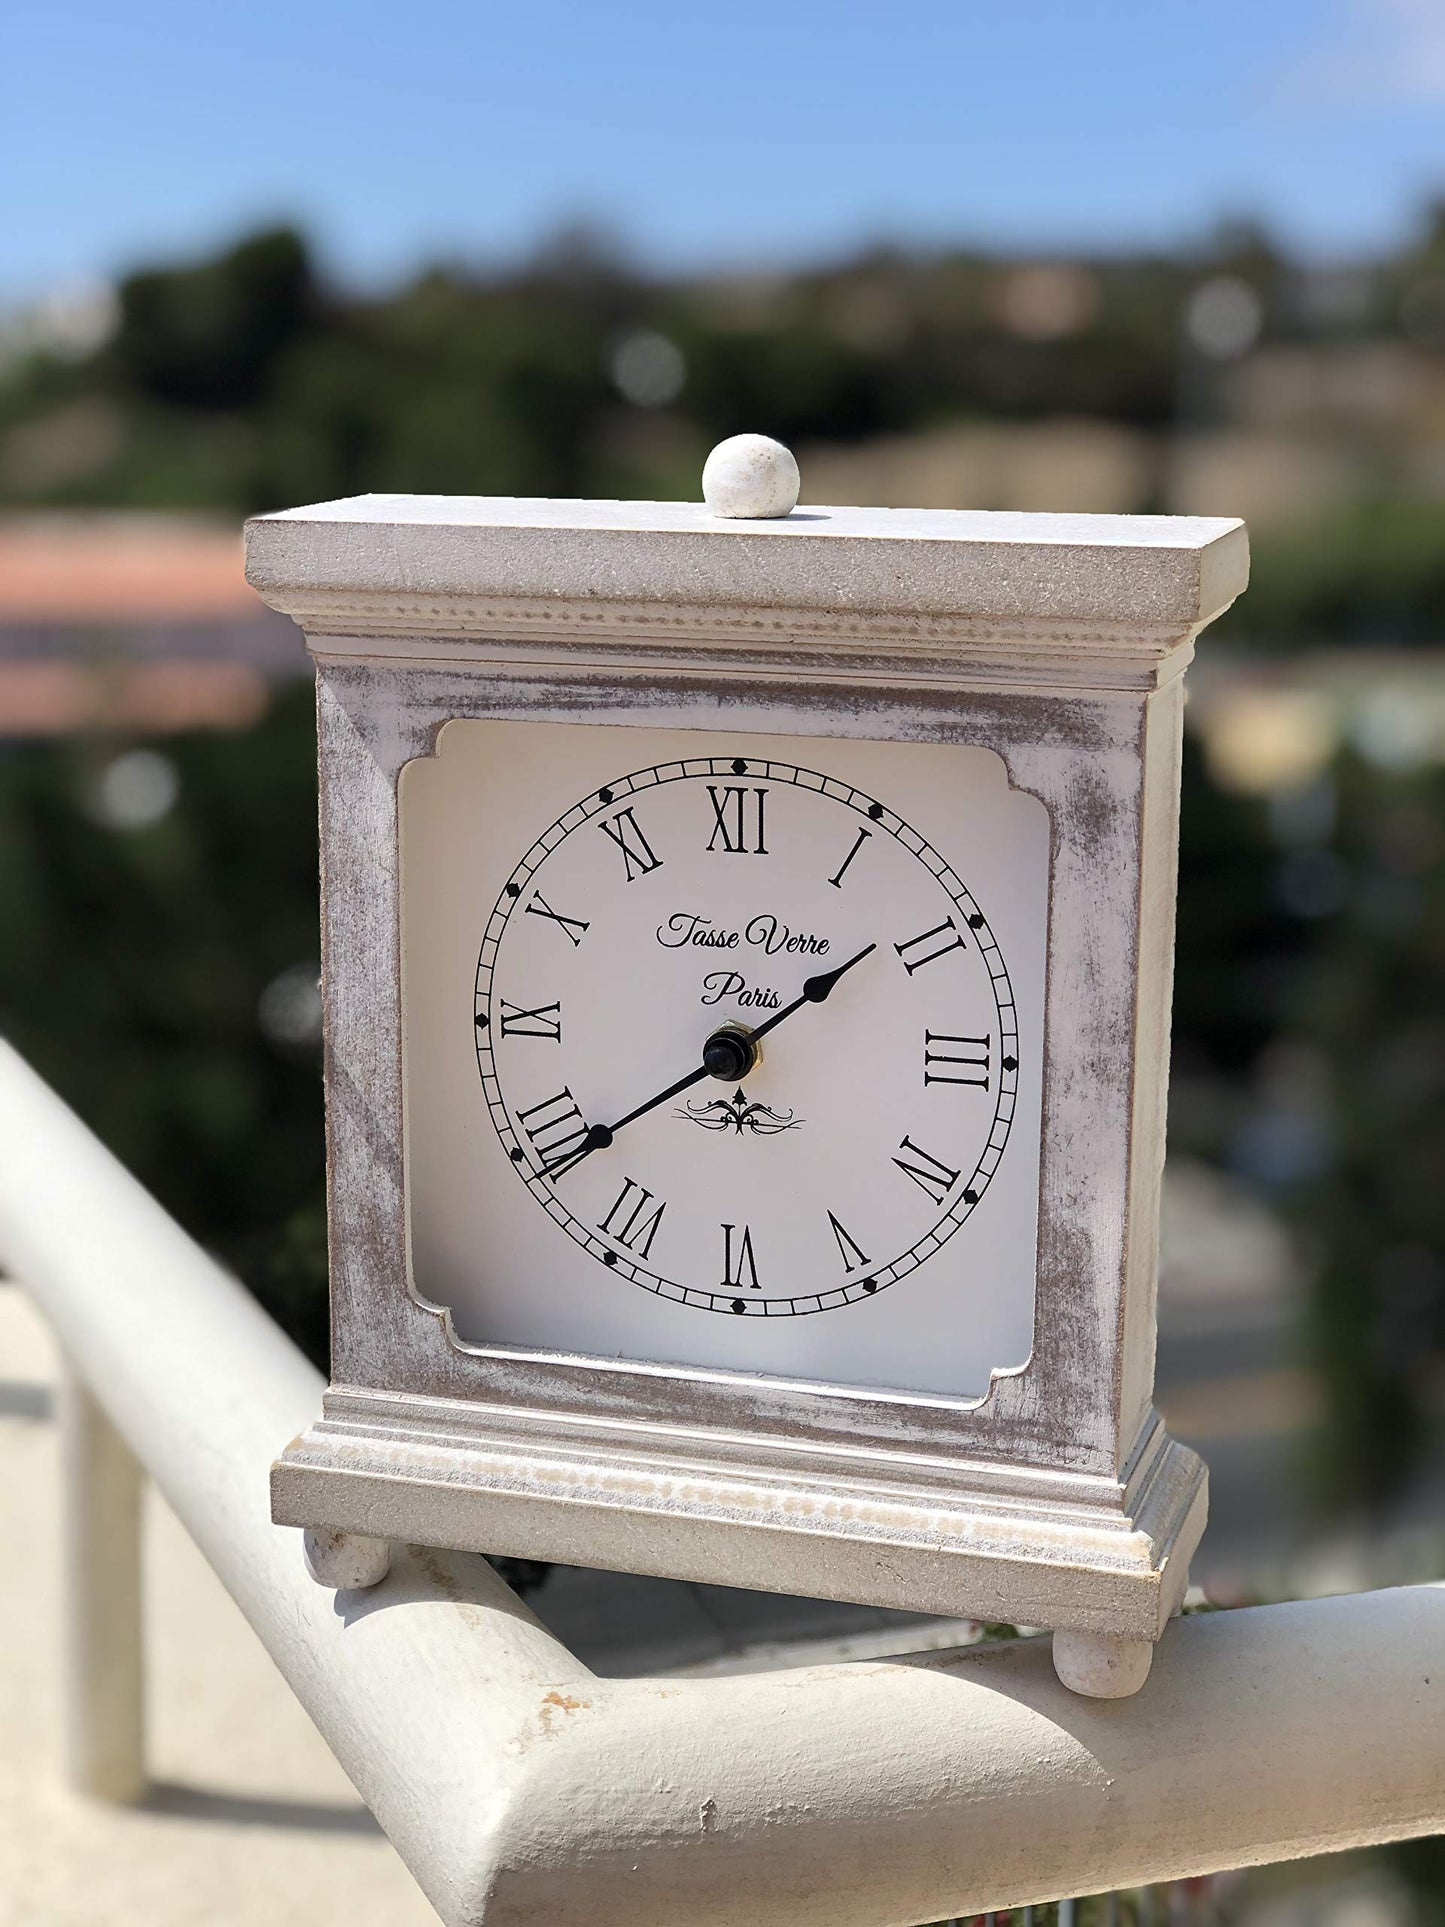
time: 1:38
